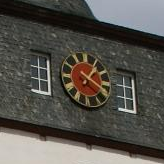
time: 1:21
